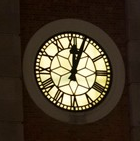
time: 12:03
